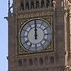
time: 11:59
